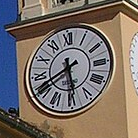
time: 5:40
